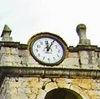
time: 12:05
